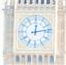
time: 12:13
